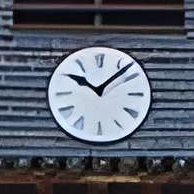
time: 10:07
